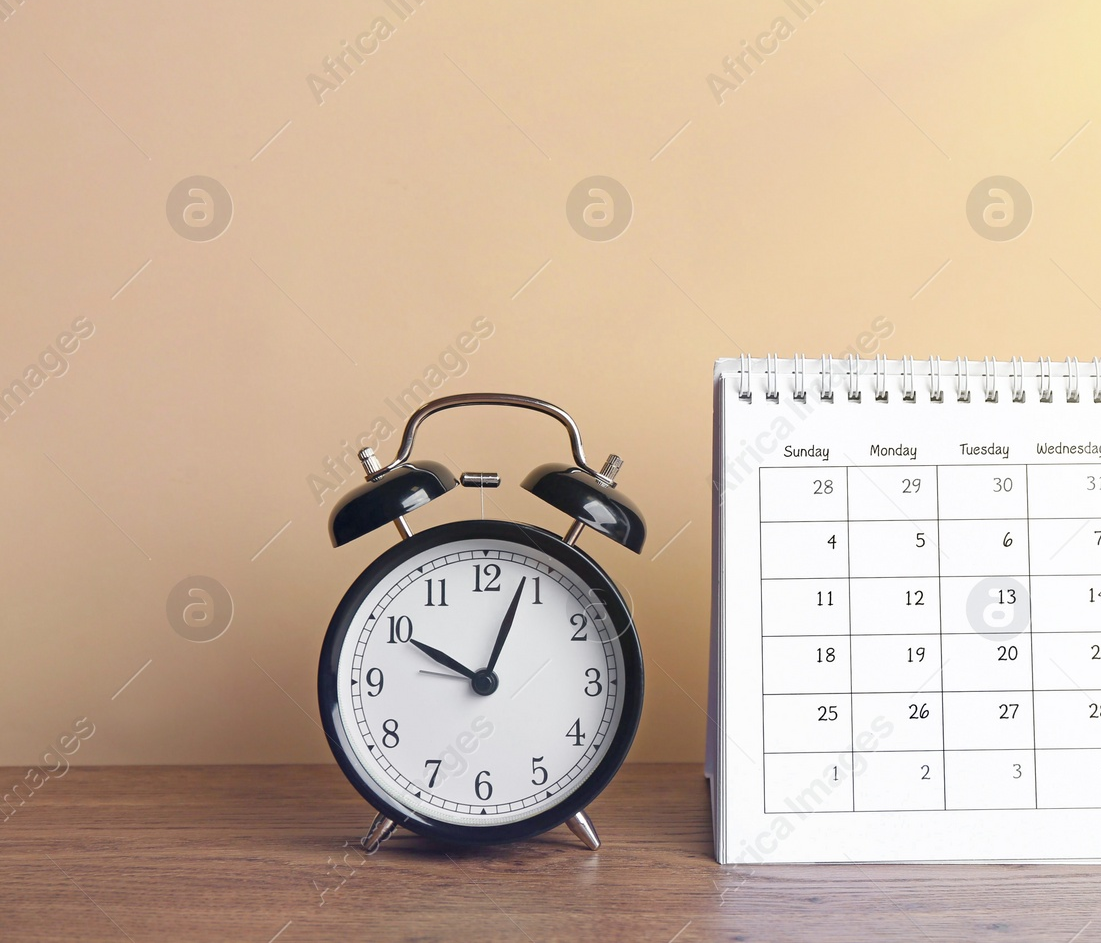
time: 10:03
